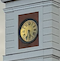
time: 5:33
